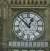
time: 12:52
